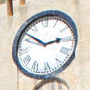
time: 2:50
